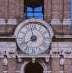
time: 7:58
